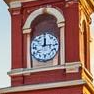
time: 12:14
